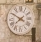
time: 7:49
